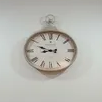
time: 8:48
